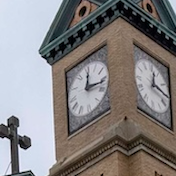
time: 12:16
